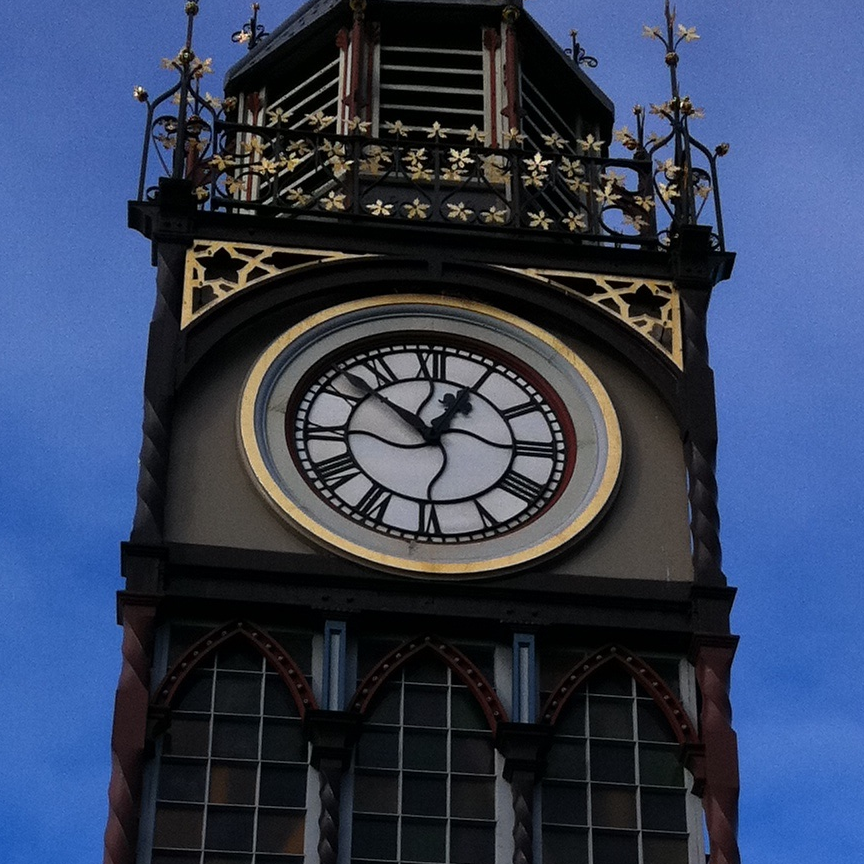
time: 12:52
